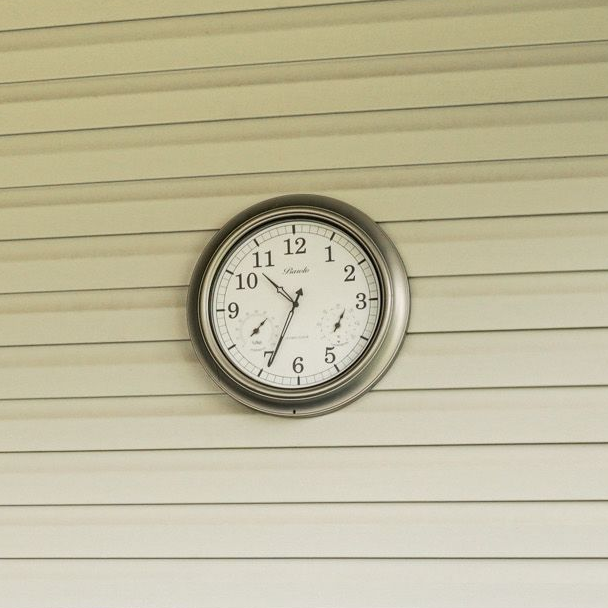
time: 10:34
